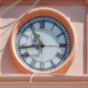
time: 8:54
